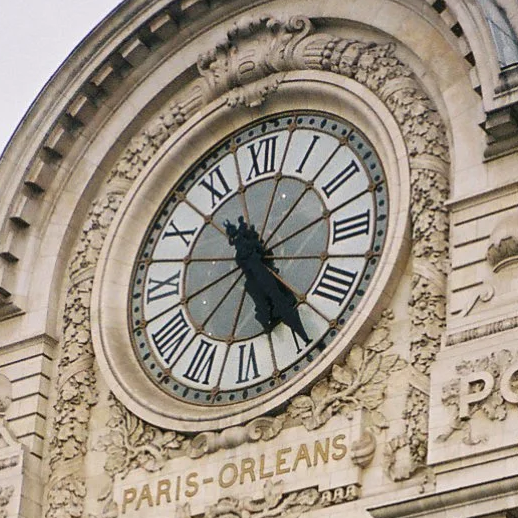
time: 5:24
